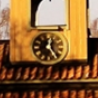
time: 12:24
